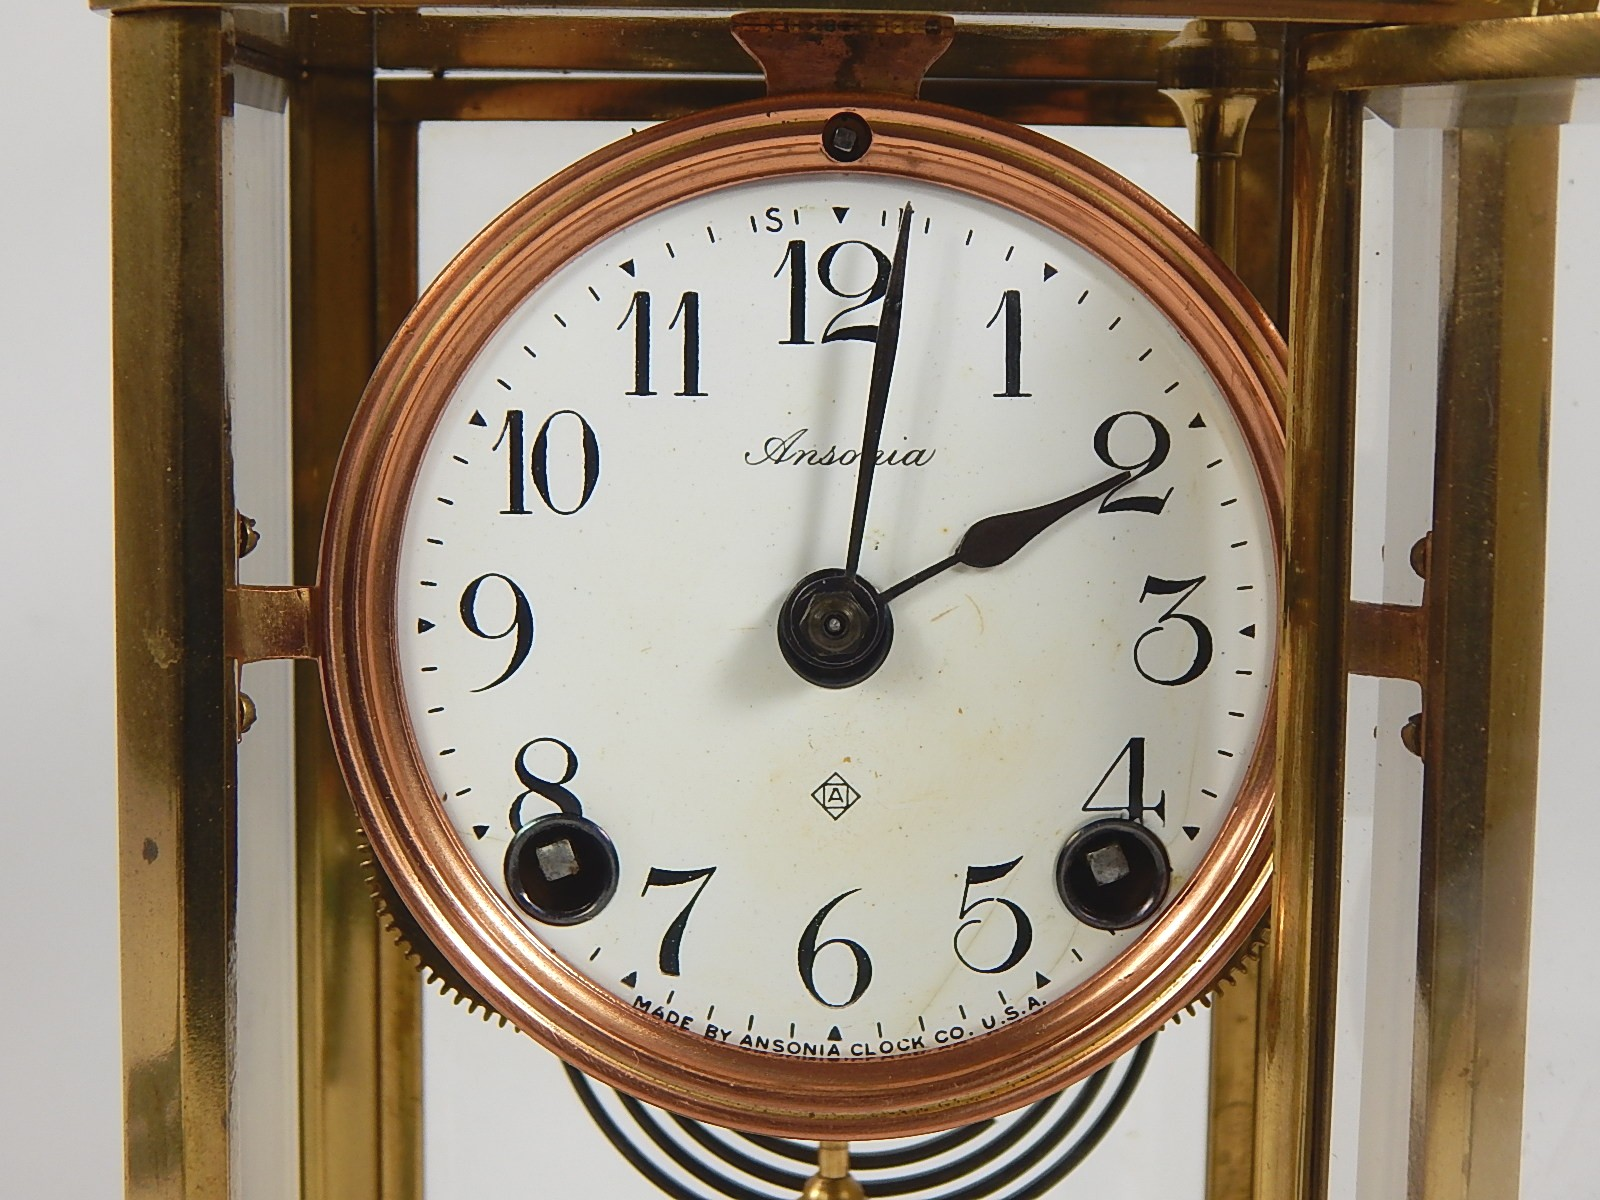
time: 2:01
